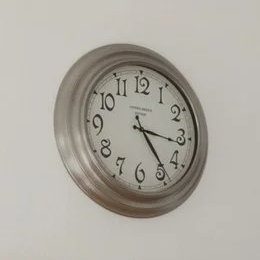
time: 3:23
